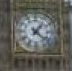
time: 1:21
